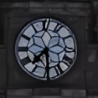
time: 7:29
